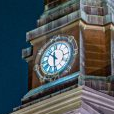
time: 10:30
